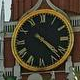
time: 4:22
